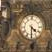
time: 4:29
